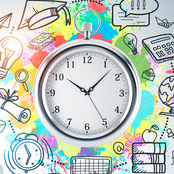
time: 10:07
